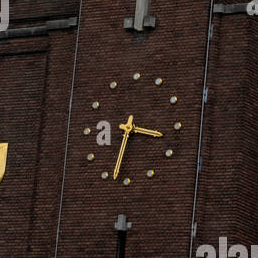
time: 3:32
